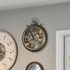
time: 11:21
